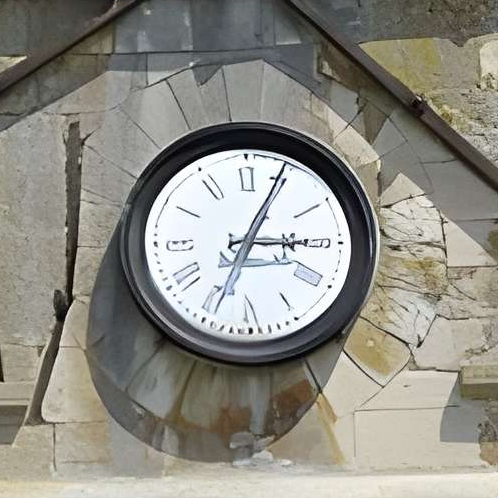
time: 3:04
